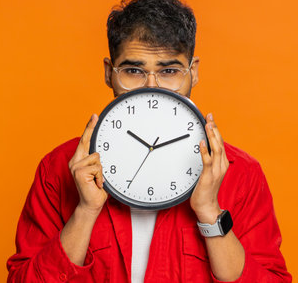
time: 10:11
